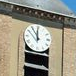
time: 11:54
